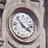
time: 3:52
